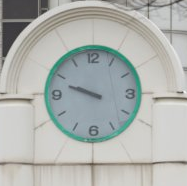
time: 9:48
